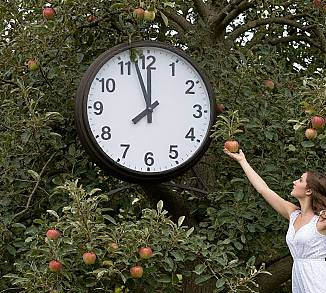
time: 11:57
